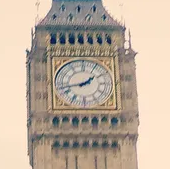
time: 1:42
